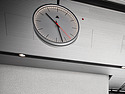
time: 10:27
